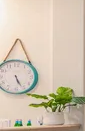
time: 5:26
